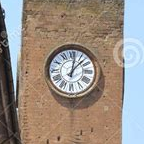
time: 12:07
